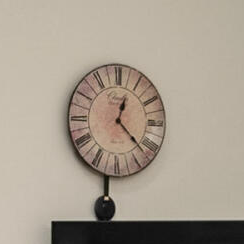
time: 12:22
